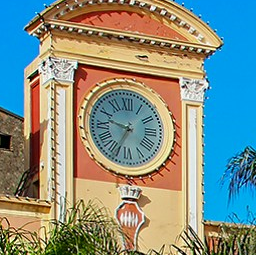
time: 9:34
